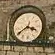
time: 3:40
